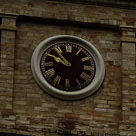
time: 9:53
